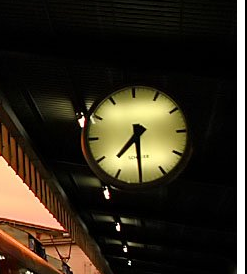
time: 7:30
